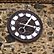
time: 1:17
